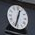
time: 12:32
